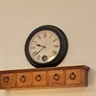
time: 9:38
